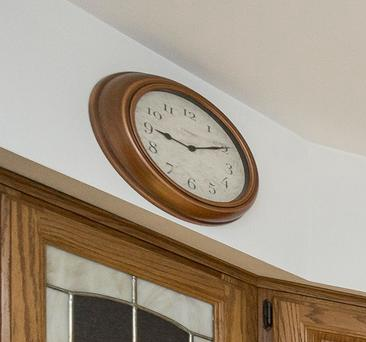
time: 9:10
